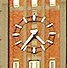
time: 4:36
